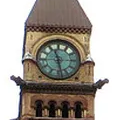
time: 11:28
